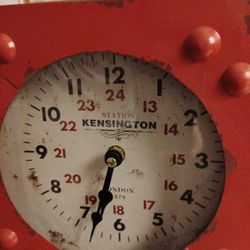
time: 6:32
